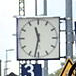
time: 11:31
